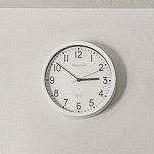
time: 2:51
